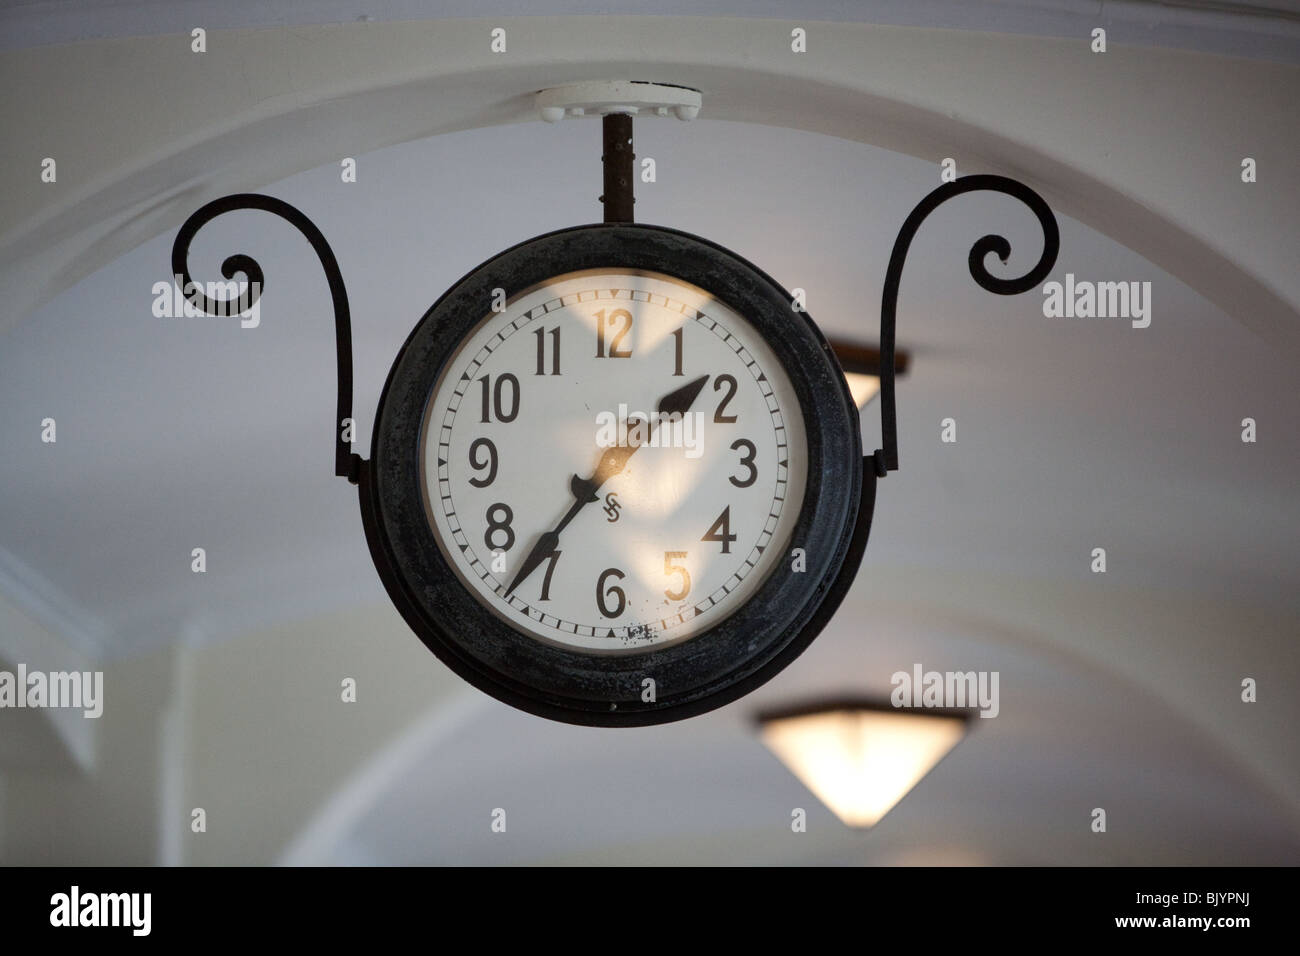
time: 1:36
